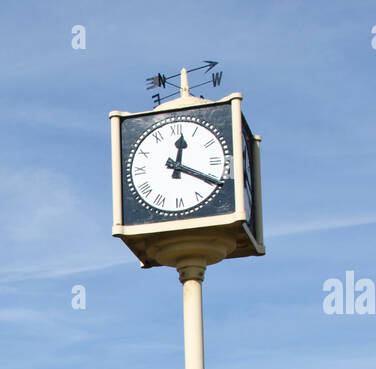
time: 12:20
